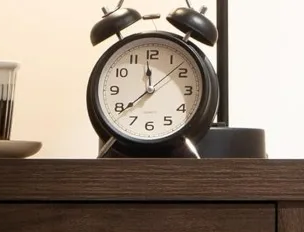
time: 11:38
